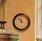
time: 11:53
